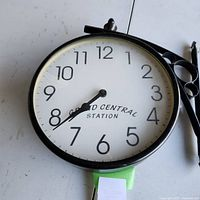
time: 7:38
